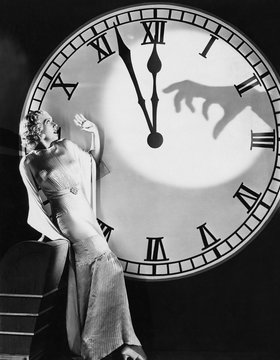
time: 11:56
